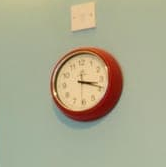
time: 3:18
